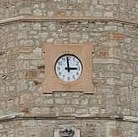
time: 2:59
